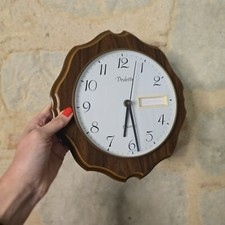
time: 6:28
